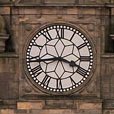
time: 3:43
